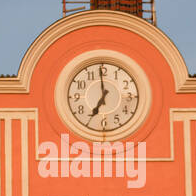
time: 6:59
